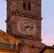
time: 7:15
